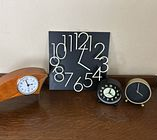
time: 4:03
